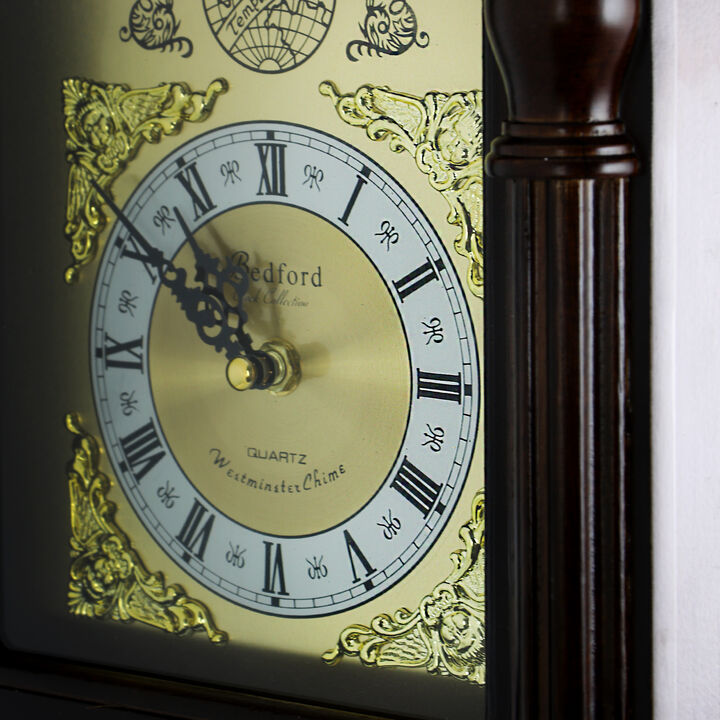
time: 10:50
